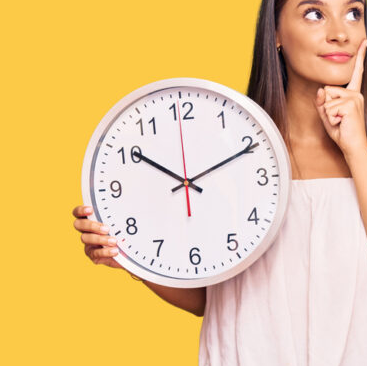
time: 10:10
